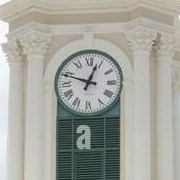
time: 12:48
